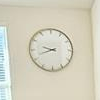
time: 9:42
